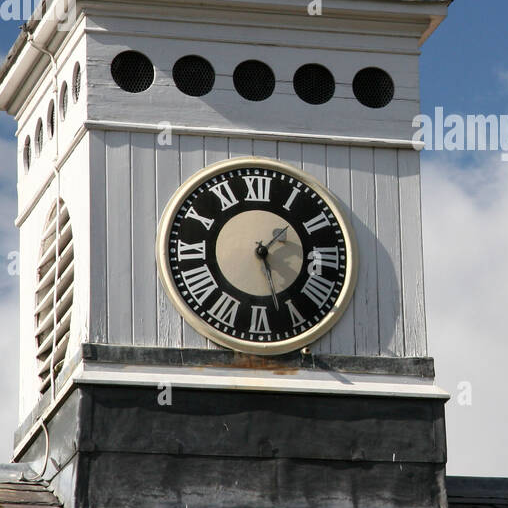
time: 1:26
